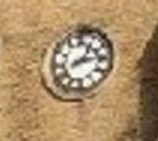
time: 1:13
